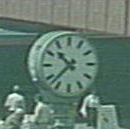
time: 10:37
